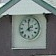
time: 1:59
